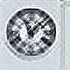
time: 11:07
